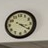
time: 3:21
